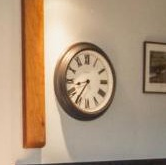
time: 8:35
